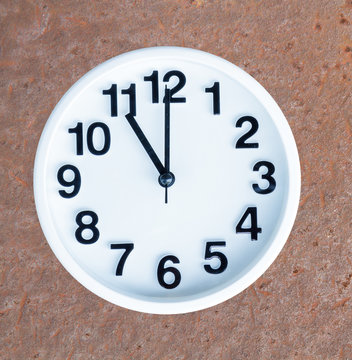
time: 11:00
